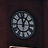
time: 12:58
